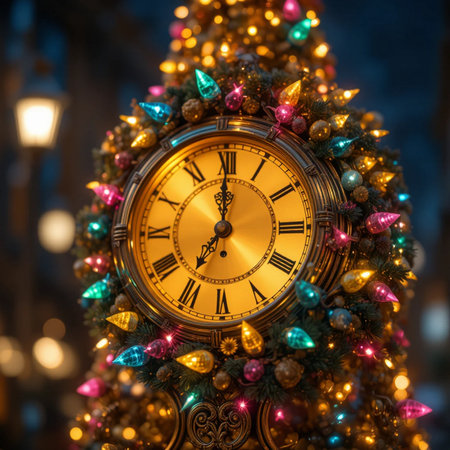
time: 7:00
